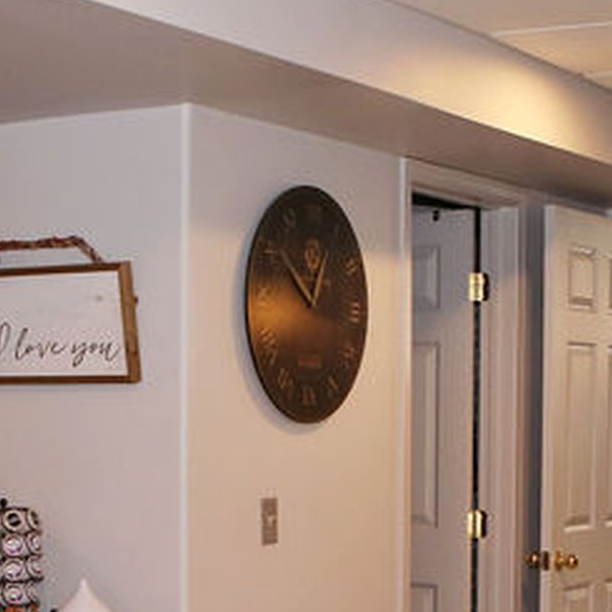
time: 12:51
